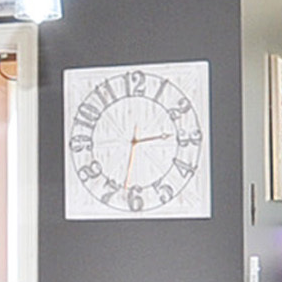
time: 2:32
